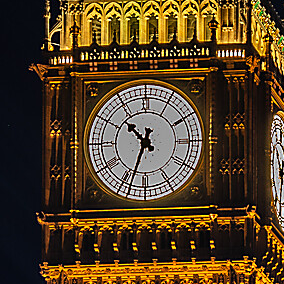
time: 10:33
